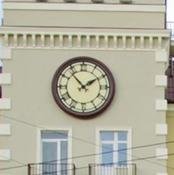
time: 1:53
